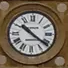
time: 10:20
